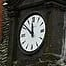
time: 11:51
